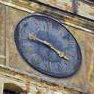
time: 9:20
